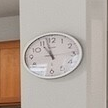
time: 10:57
